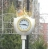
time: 3:44
